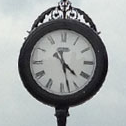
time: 4:27
